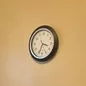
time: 3:33
